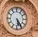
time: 5:24
